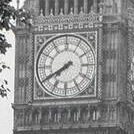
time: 7:40
